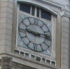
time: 9:13
